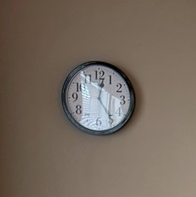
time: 12:24
